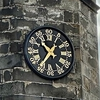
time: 10:36
